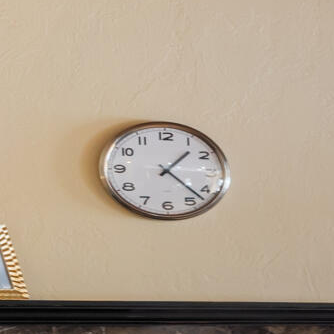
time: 1:22
